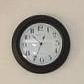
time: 10:34
